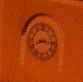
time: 8:16
